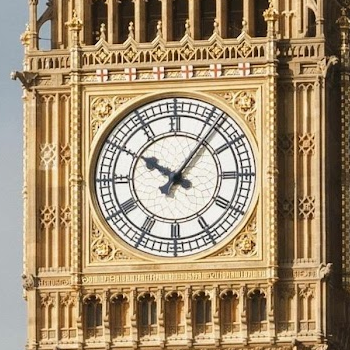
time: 10:06
